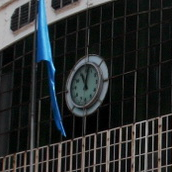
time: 11:02
